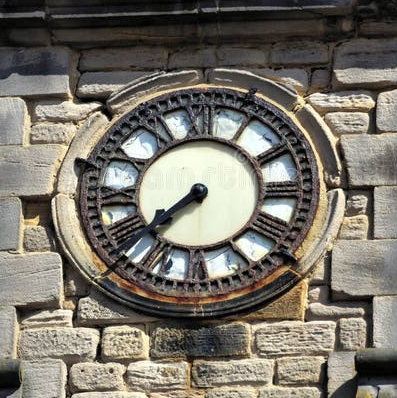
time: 7:37
